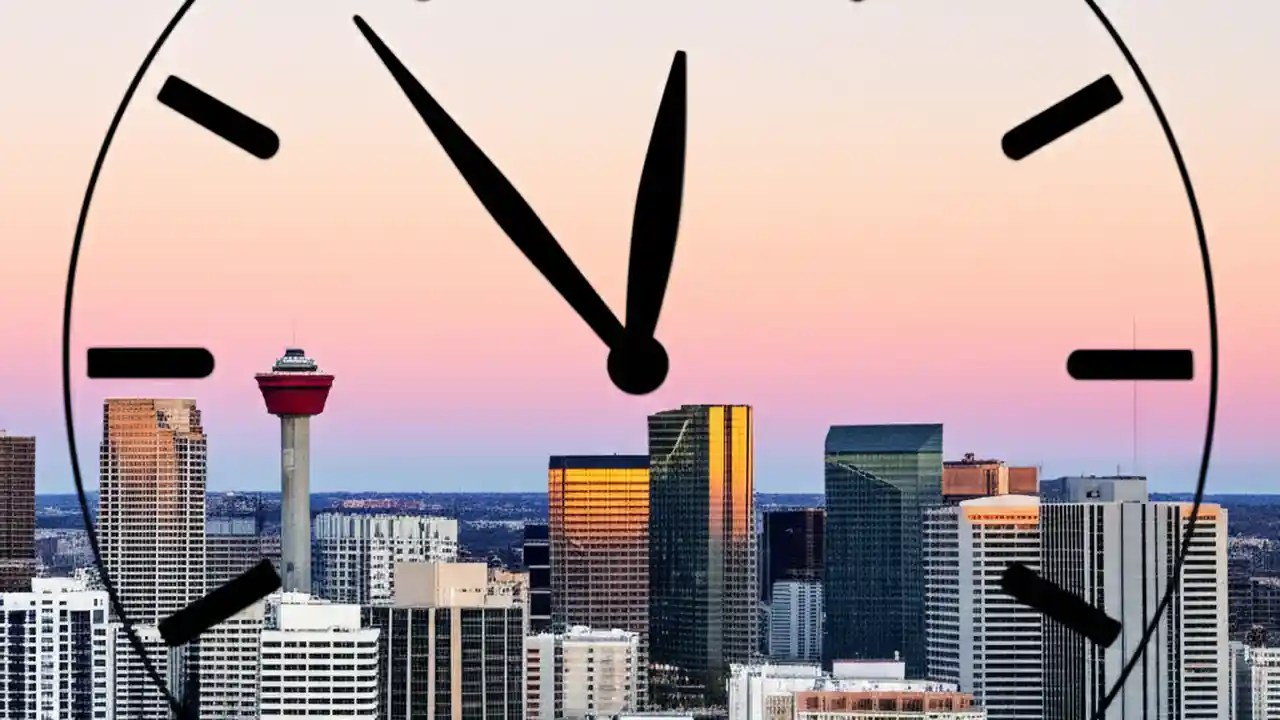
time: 11:53
